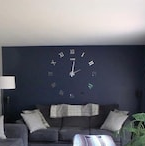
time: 2:01
